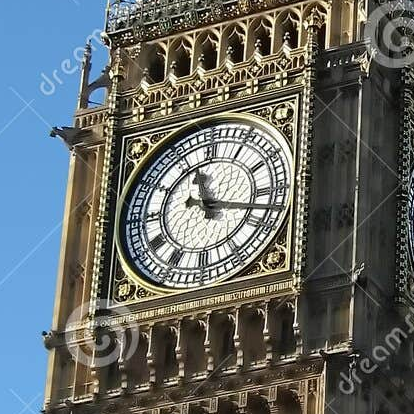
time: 11:17
